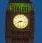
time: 8:16
